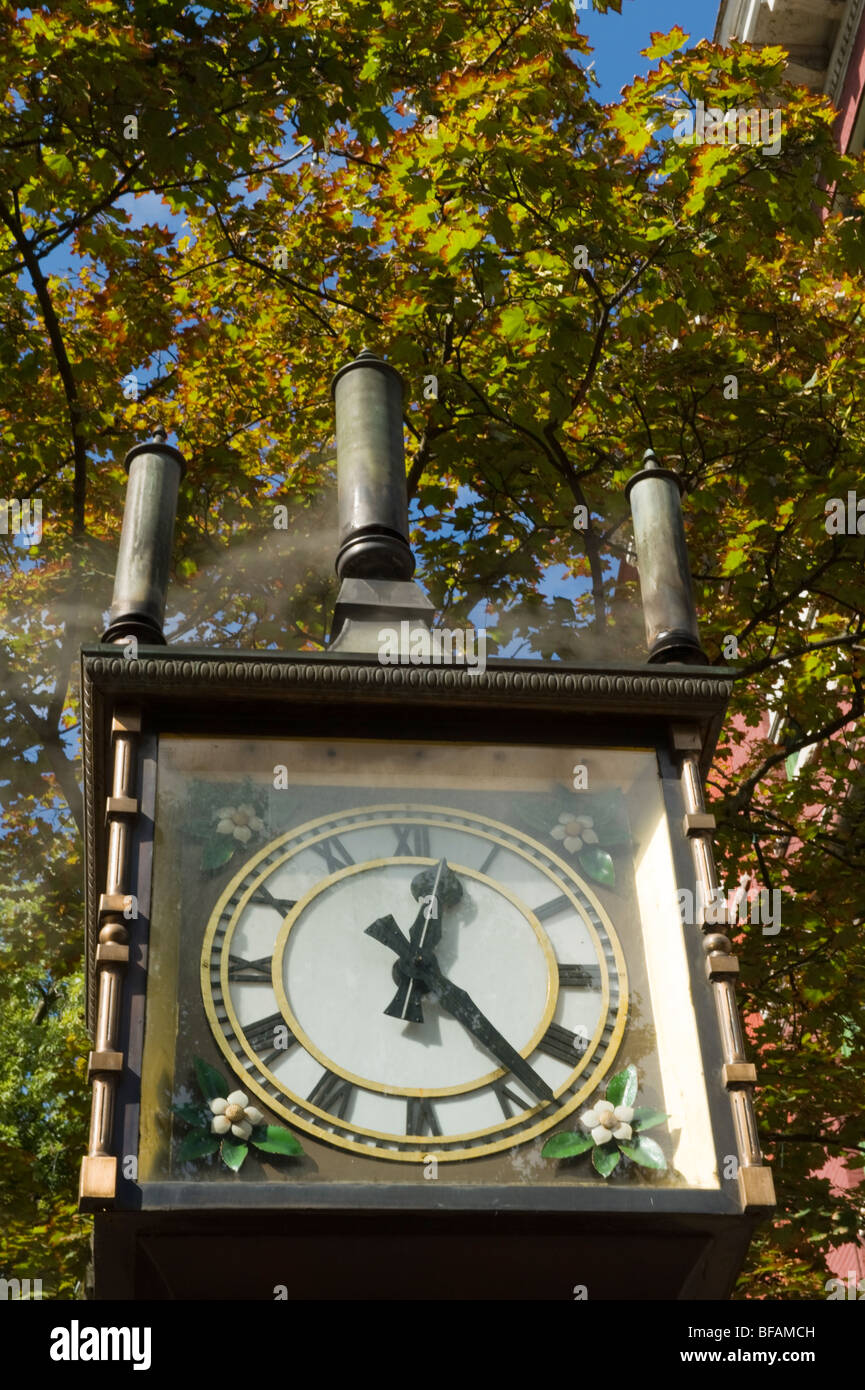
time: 12:23
